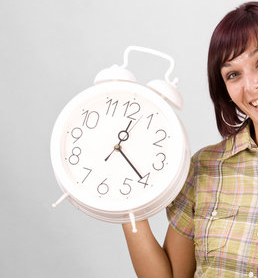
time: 12:20
